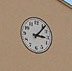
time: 3:06
